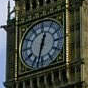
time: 12:32
